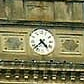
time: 4:37
